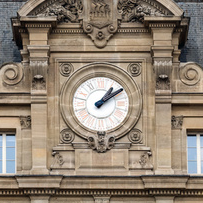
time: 1:09
